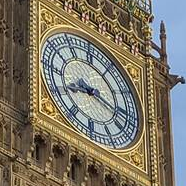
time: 8:16
